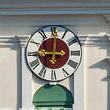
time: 9:01
